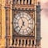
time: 6:56
